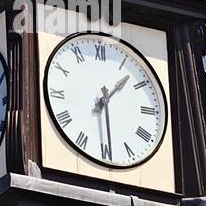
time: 1:29
